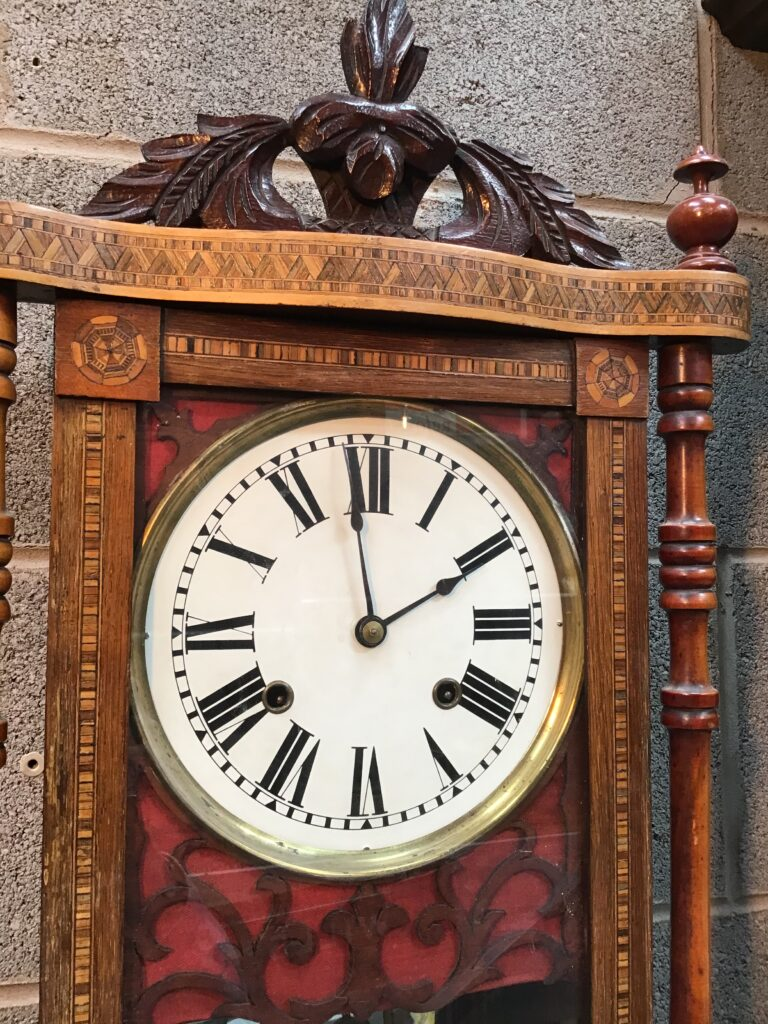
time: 1:58
